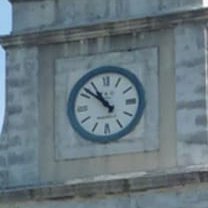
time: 10:51
